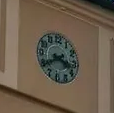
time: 3:39
